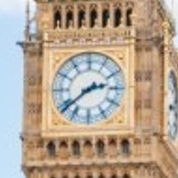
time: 2:38
